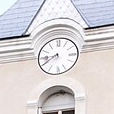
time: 8:39
